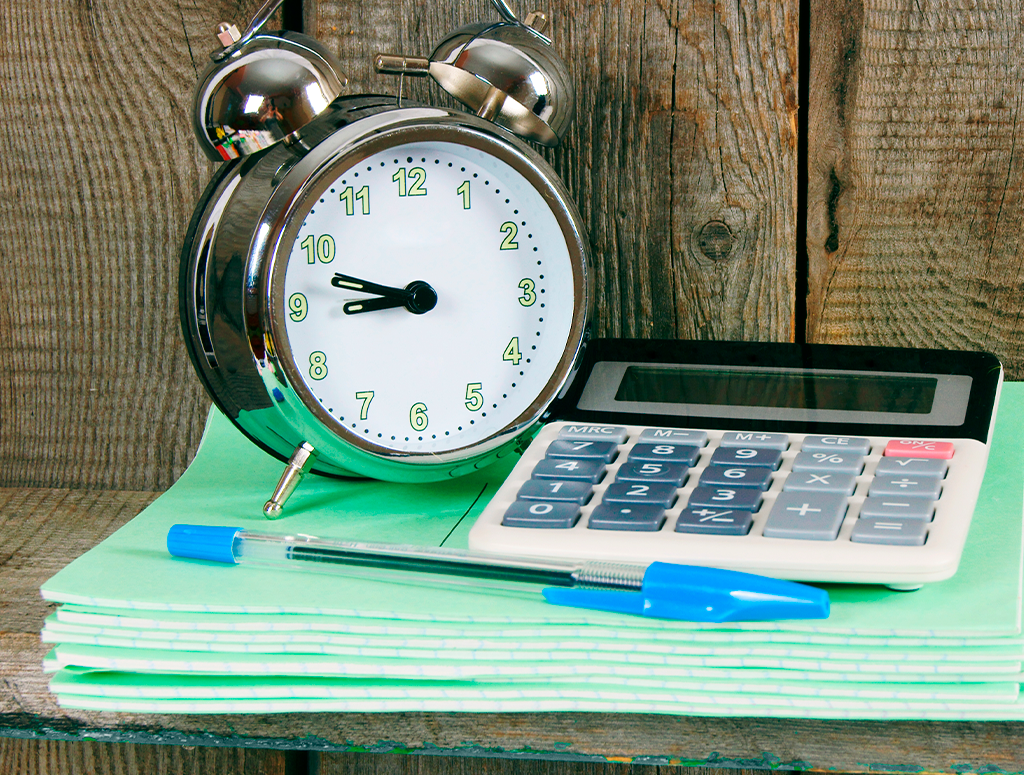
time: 8:47
